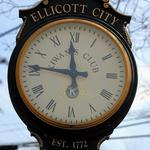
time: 11:46
